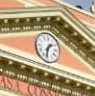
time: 1:32
